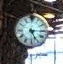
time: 5:15
